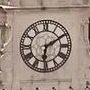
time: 6:10
